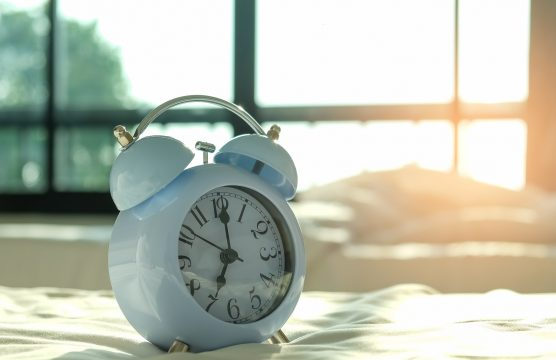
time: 7:00
